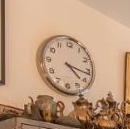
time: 4:16
